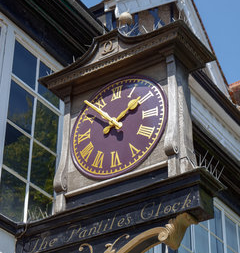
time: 1:51
